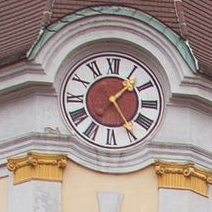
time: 1:24
